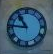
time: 10:46
